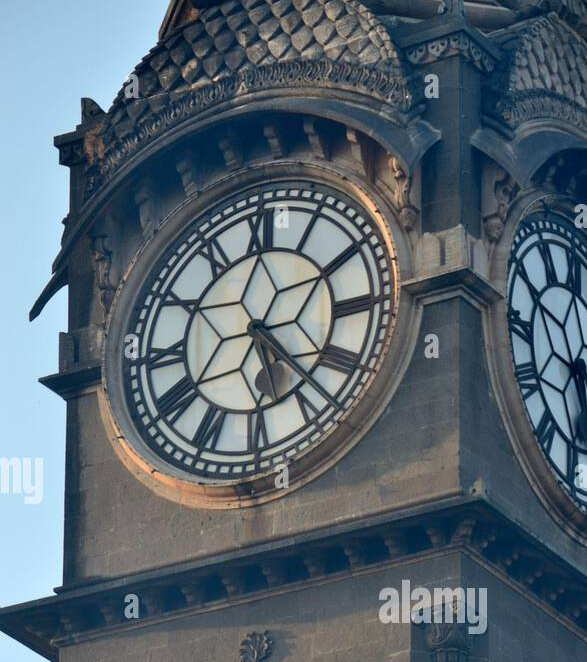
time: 5:23
